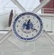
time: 12:19
